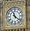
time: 11:21
